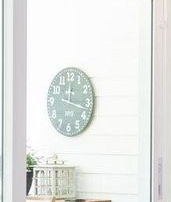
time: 12:17
